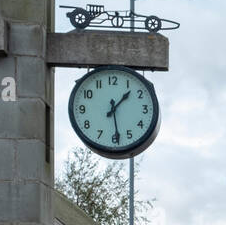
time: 1:28
